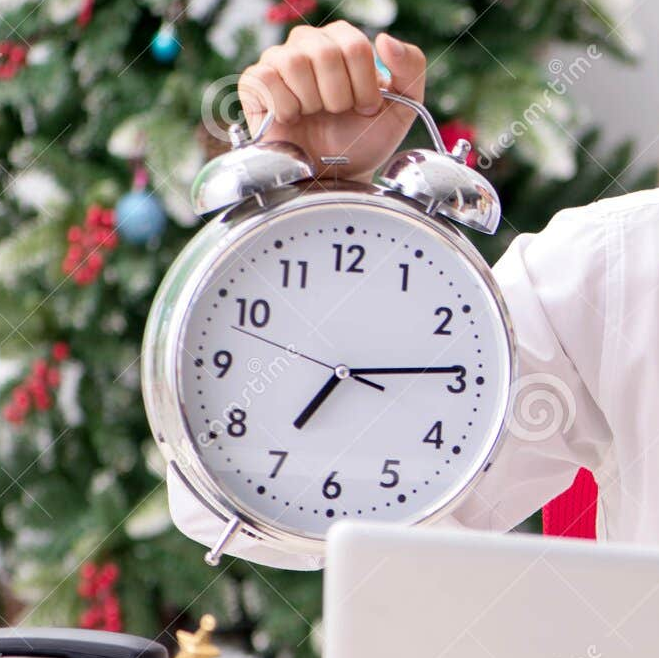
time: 7:14
